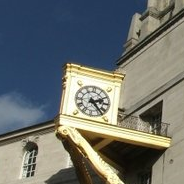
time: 2:23
